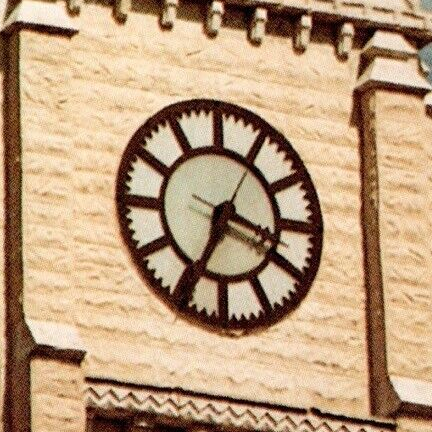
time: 3:34
